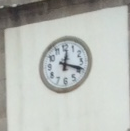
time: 12:18
